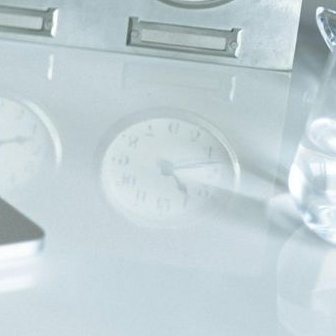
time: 4:12
